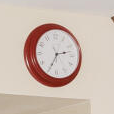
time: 2:34
